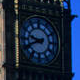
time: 9:41
